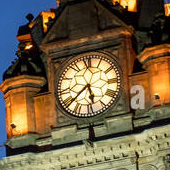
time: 5:38
